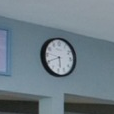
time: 5:40
